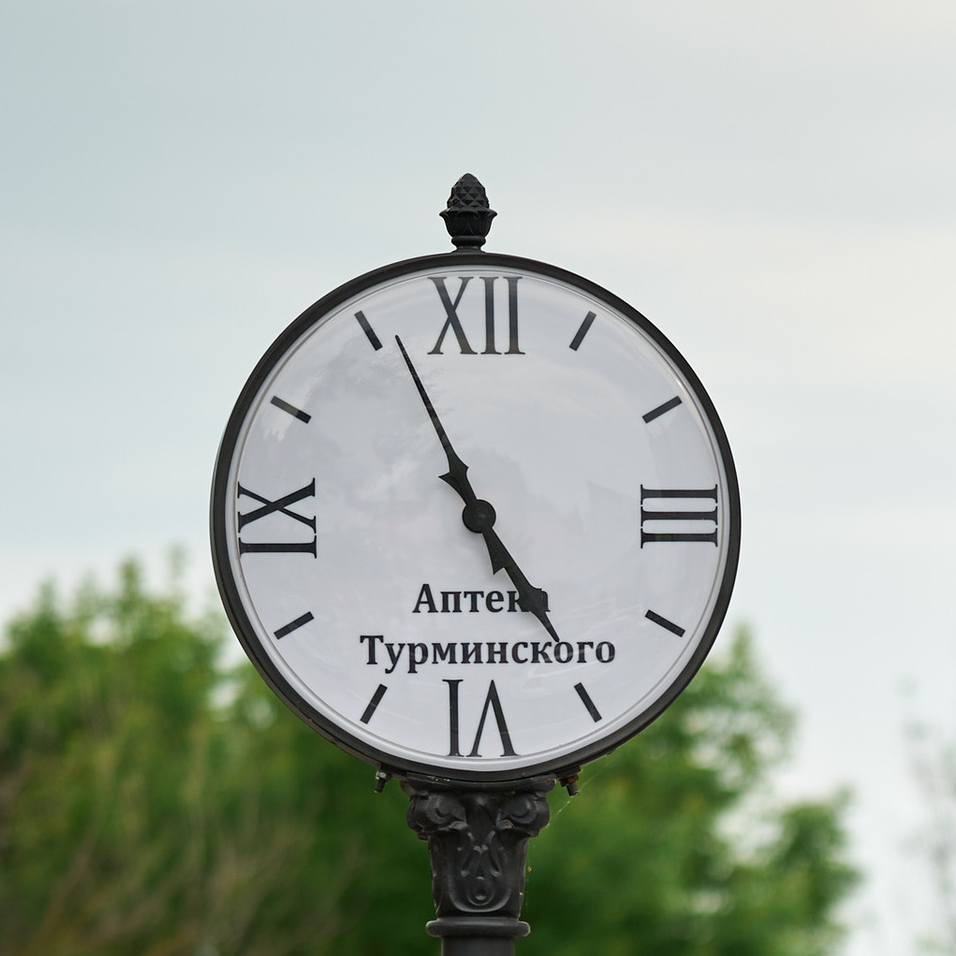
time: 4:56
